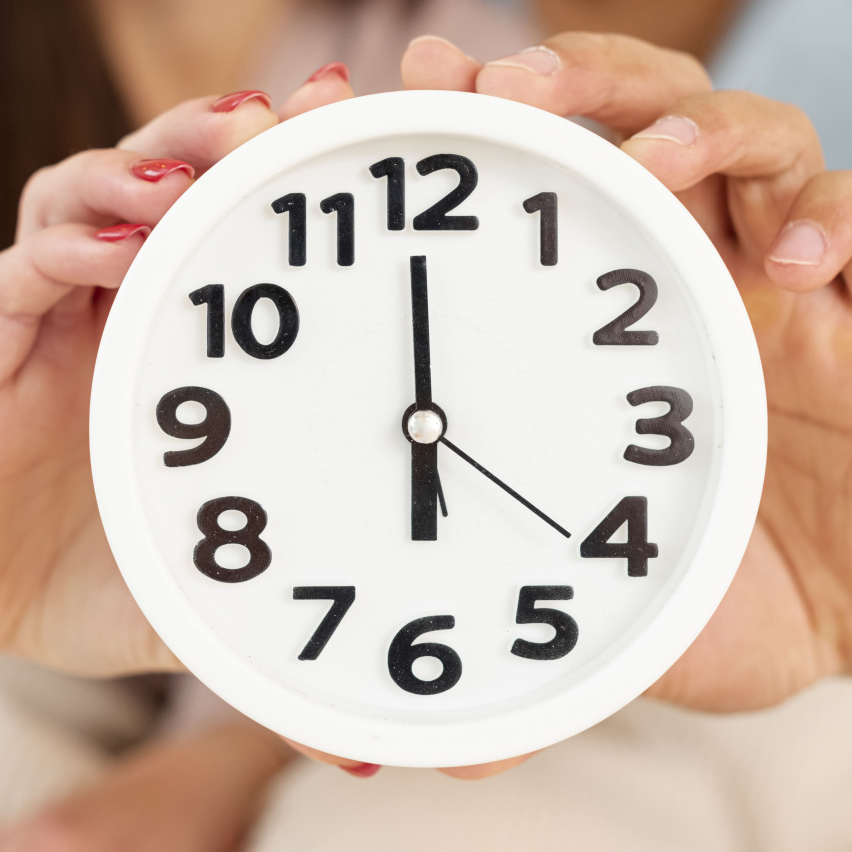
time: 5:59
